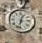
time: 12:32
